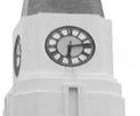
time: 6:13
